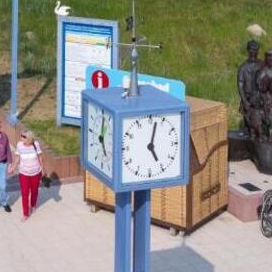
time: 5:02
